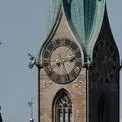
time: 8:12
